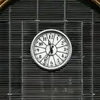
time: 11:36
